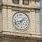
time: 1:42
